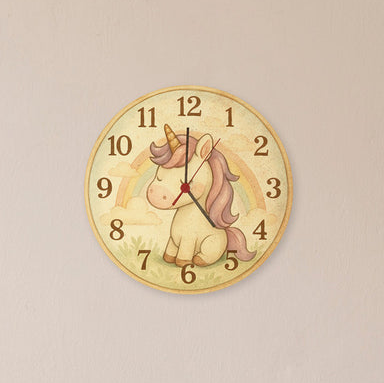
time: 12:23
